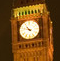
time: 10:47
